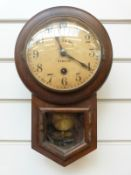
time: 11:20
